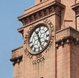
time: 11:25
